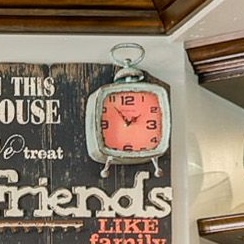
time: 1:53
